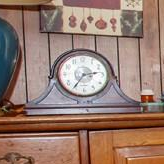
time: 2:35
